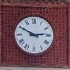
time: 2:49
